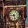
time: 8:27
